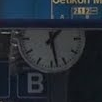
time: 1:28
